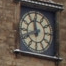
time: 11:41
